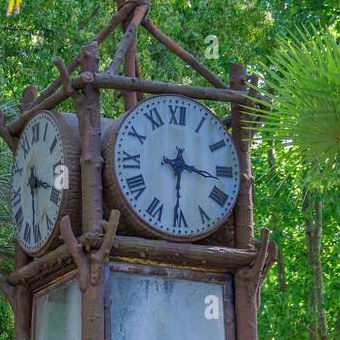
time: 3:30
